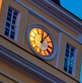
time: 12:05
